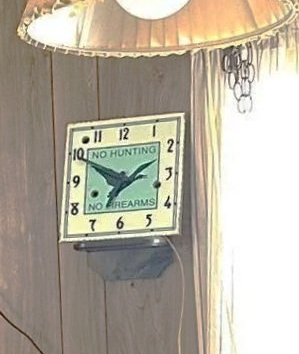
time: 1:50
